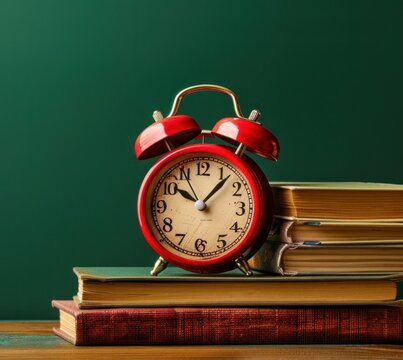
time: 10:06
